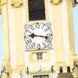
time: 9:17
